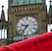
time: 9:36
